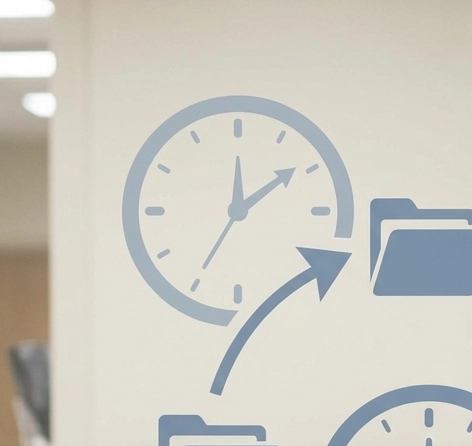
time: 12:09
